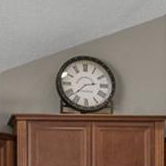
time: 2:37
